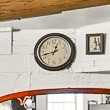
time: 12:42
